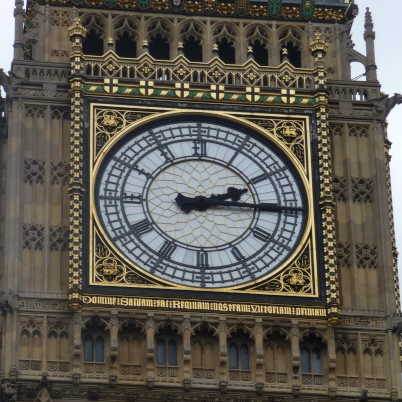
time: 2:15
